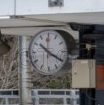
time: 10:20
